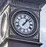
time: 1:07
